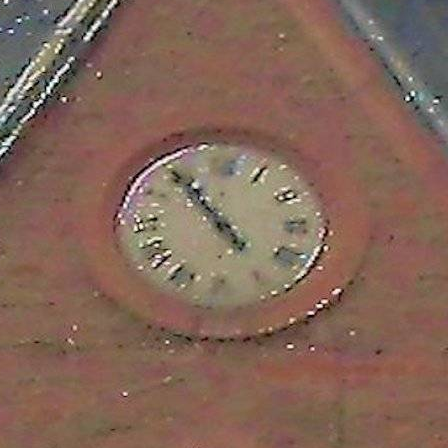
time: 4:54
